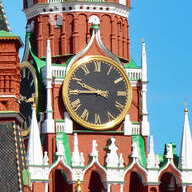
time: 9:45
